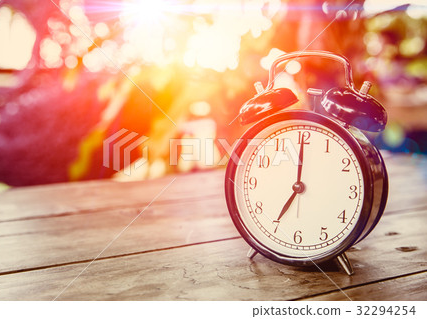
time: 7:00
